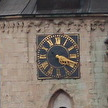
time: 5:18
